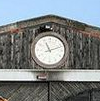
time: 11:11
